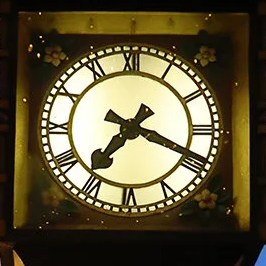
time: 7:18
